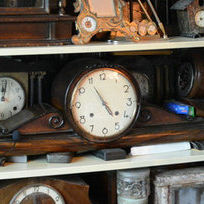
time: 4:54
